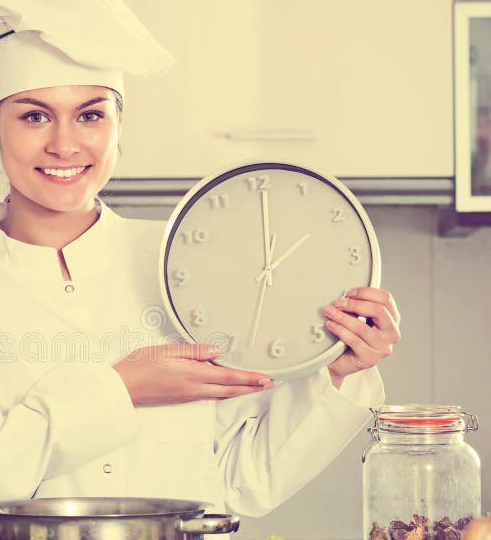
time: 2:00
